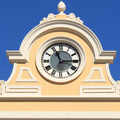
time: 11:14
